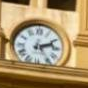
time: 2:24
